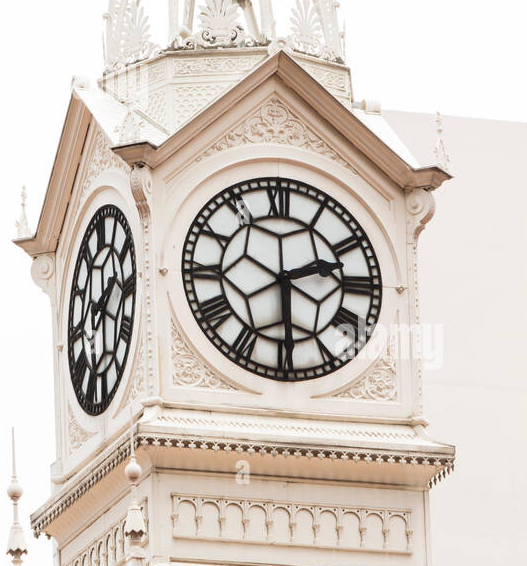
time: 2:29
